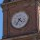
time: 4:35
